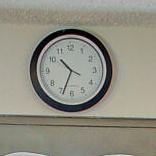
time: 10:33
